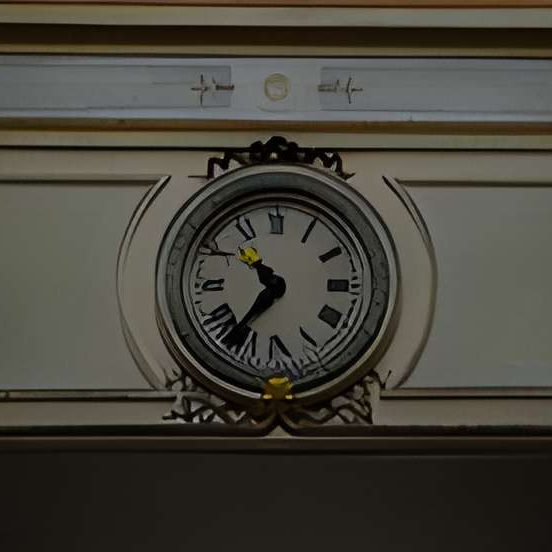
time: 10:36
